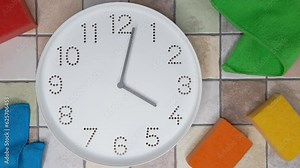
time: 4:02
